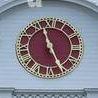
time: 11:25
